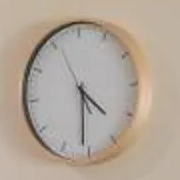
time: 4:31
